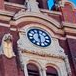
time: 5:59
